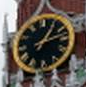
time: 1:12
